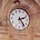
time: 2:23
